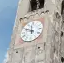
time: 11:48
